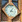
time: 3:04
